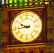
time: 9:43
